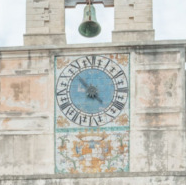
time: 4:52
